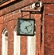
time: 5:10
